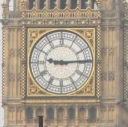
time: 9:14
